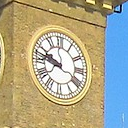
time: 9:47
